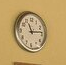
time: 11:13
